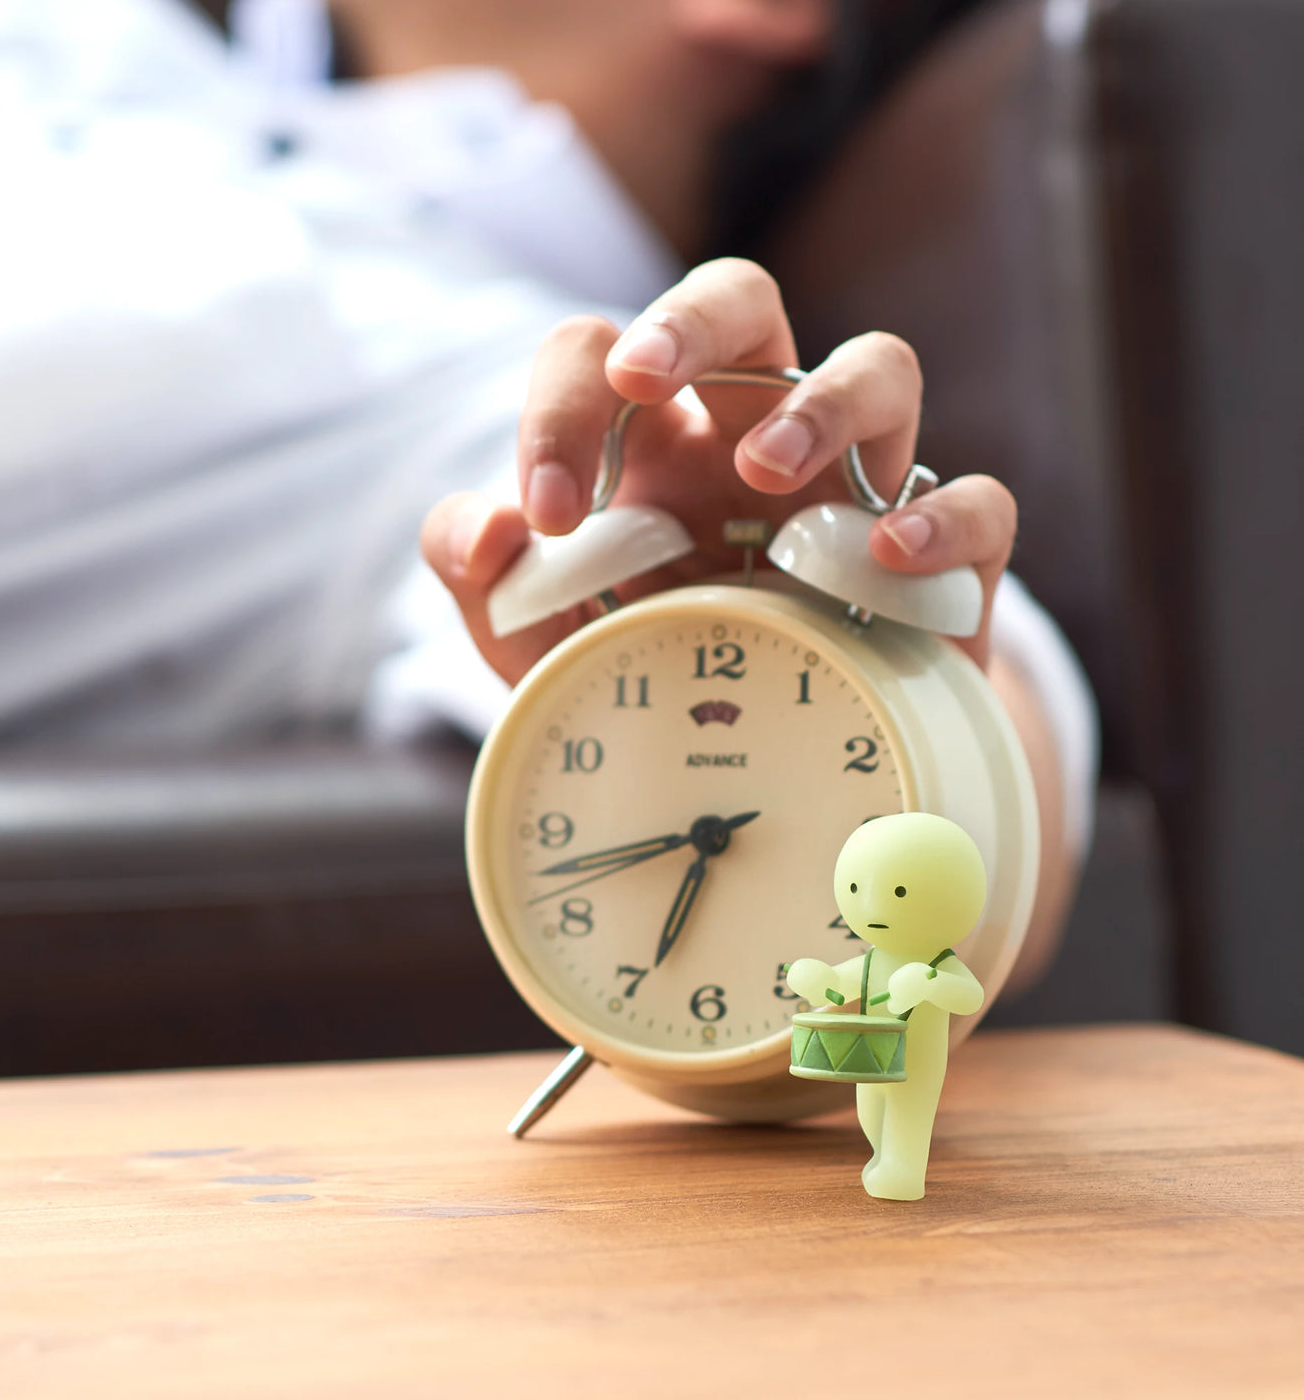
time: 6:42
